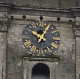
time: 10:04
